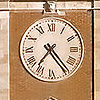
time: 7:23
